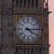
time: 4:14
